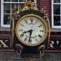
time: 8:32
